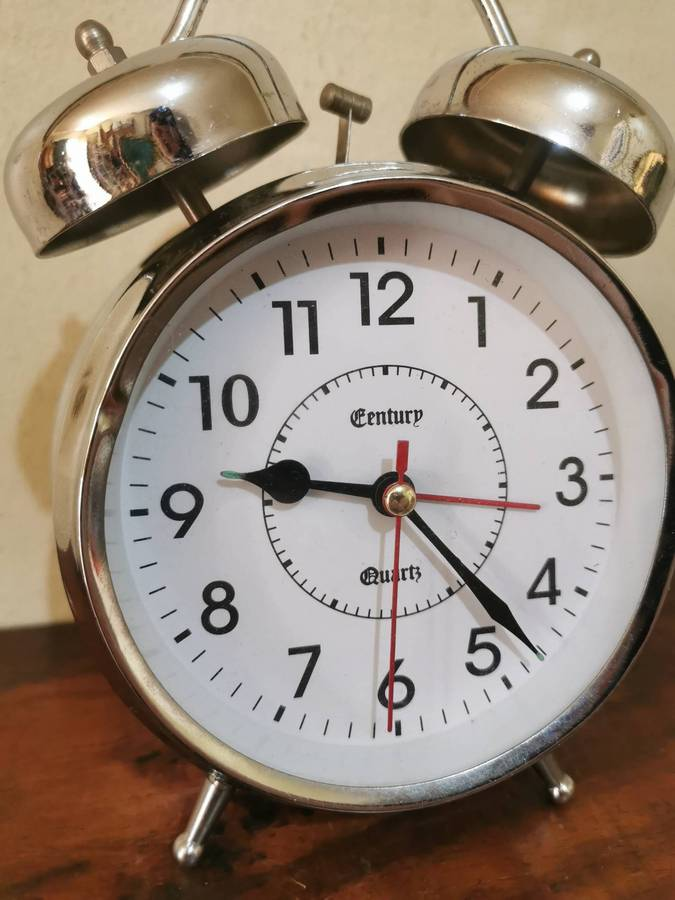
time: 9:22
